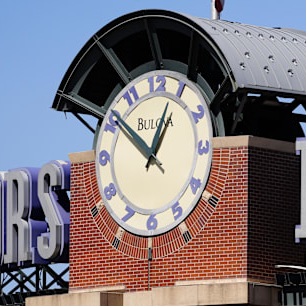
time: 12:51
